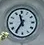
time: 11:35
